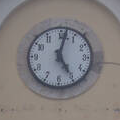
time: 5:01
